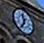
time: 11:35
